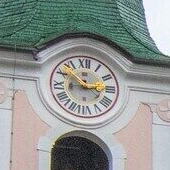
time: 2:52
